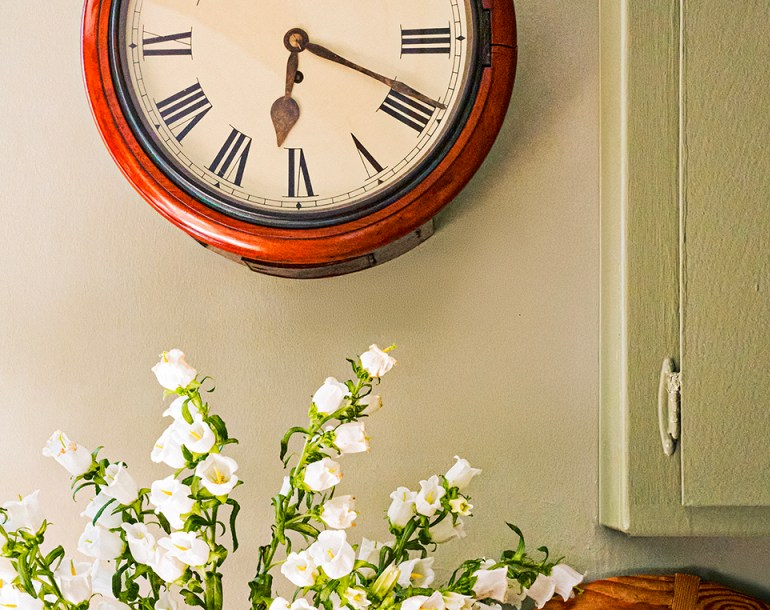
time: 6:18
